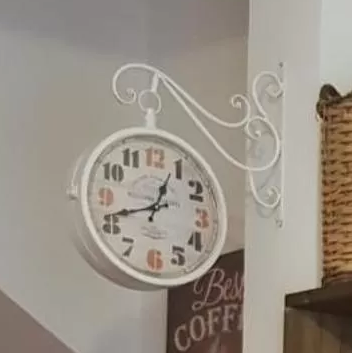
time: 12:41
